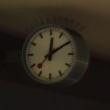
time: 12:09
